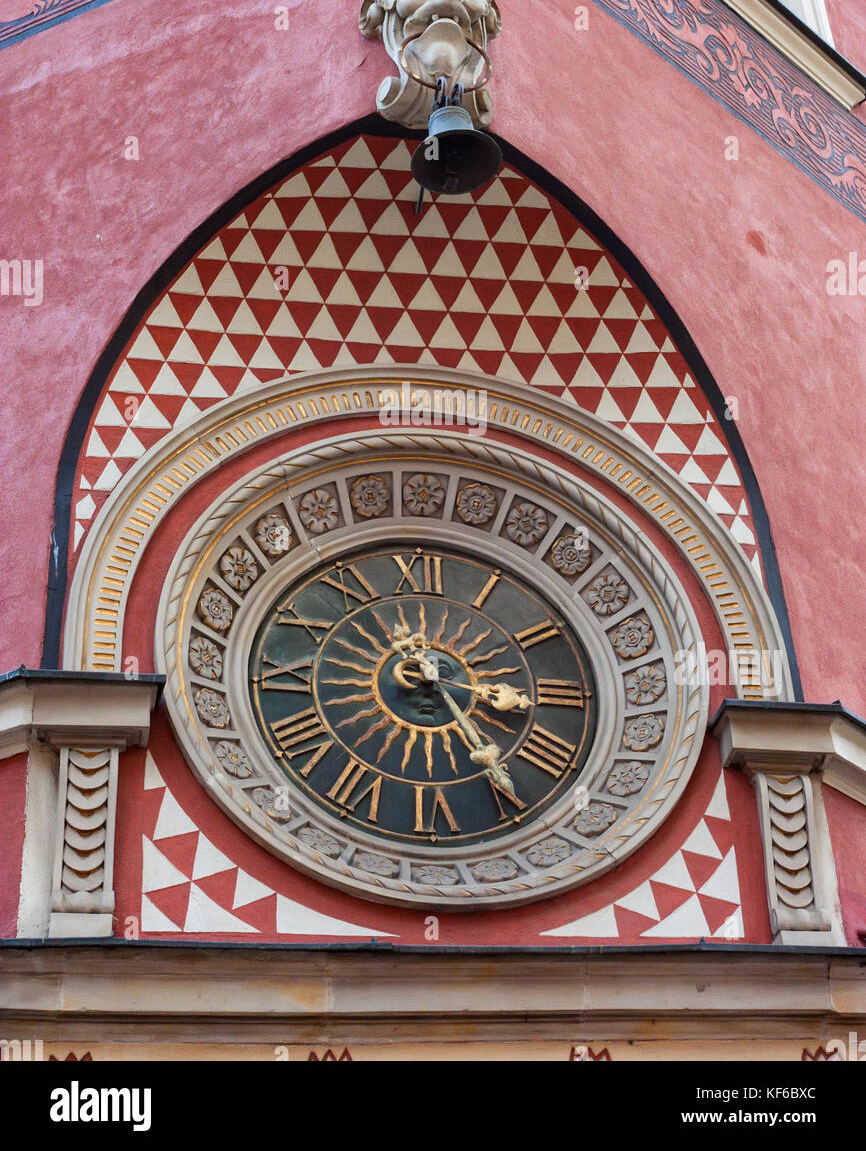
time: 3:24
